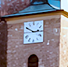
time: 2:49
